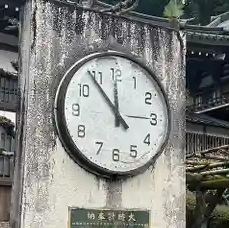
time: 11:53
